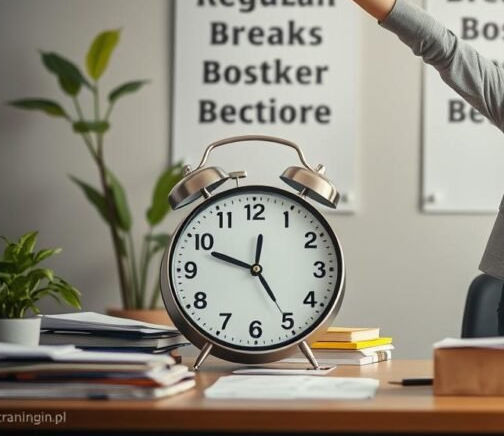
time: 4:48
